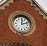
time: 12:11
